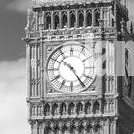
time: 10:24
